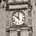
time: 11:51
